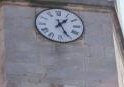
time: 1:26
